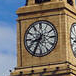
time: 8:34
